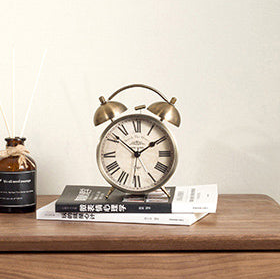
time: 1:51
